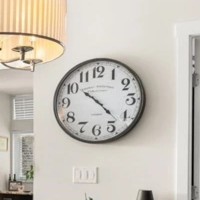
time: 10:22
